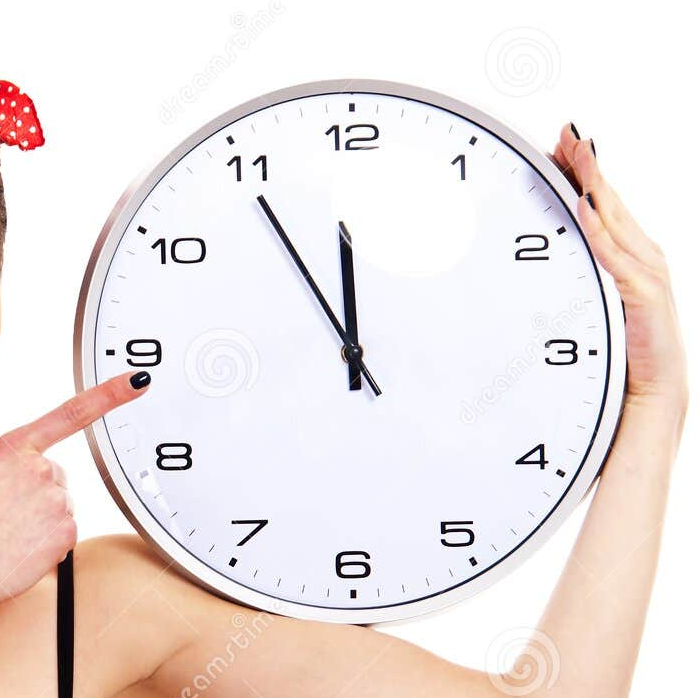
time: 11:54
